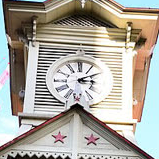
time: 3:09
